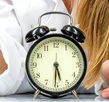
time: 5:30
